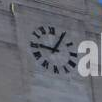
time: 9:05
